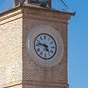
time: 4:46
